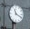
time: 11:19
